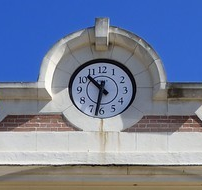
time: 10:32
